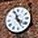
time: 11:21
